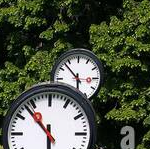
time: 5:52
